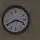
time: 3:40
